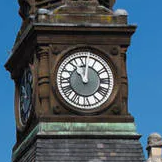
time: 11:02
